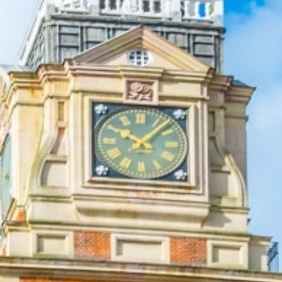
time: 10:07
